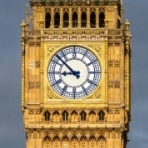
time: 8:52
